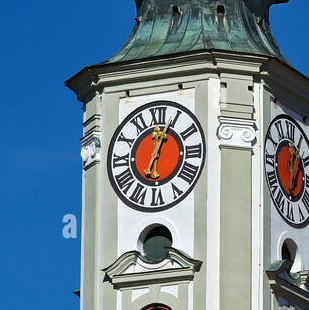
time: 7:04
